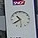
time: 10:39
